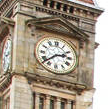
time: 2:38
